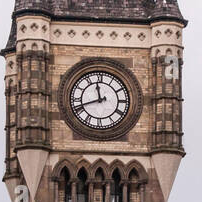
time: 11:41
